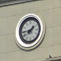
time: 1:44
